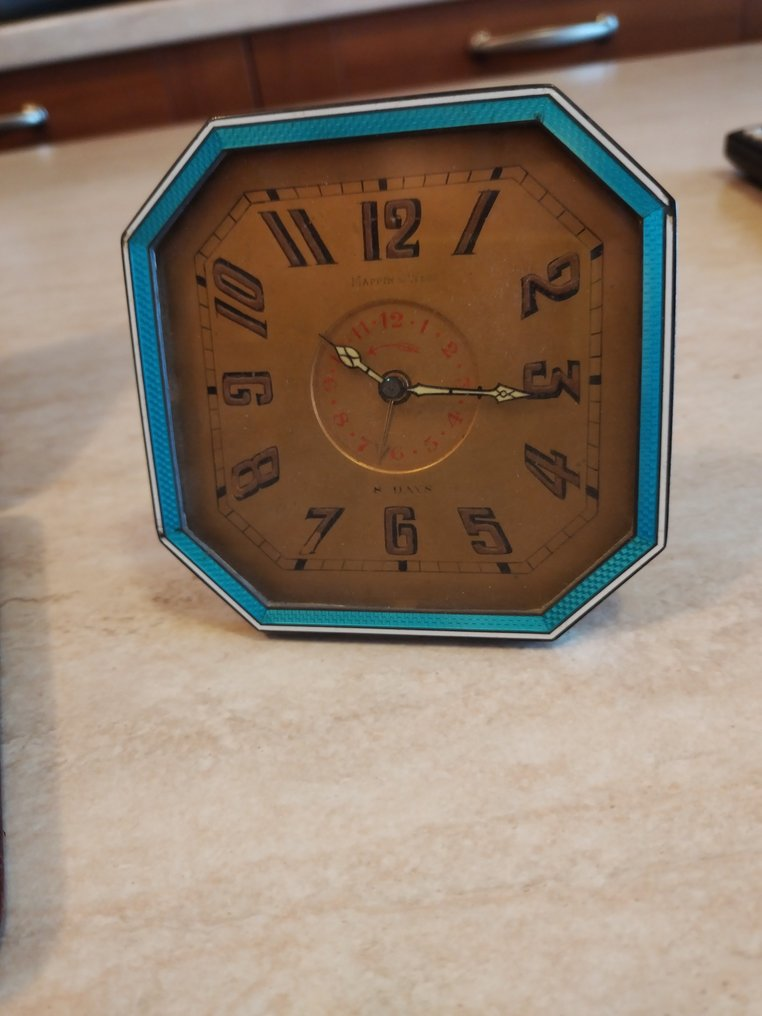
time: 10:15
